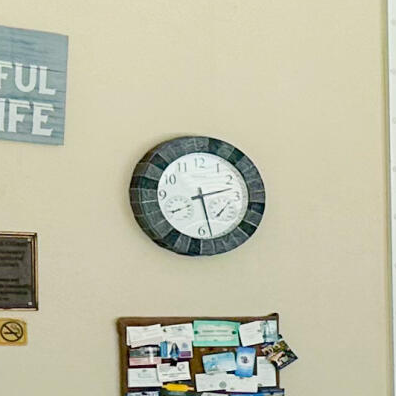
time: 2:27
